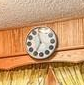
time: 6:58
